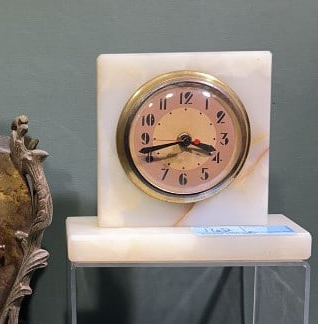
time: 3:42
